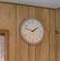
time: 1:47
